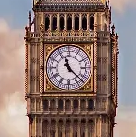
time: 11:22
